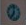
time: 7:00
